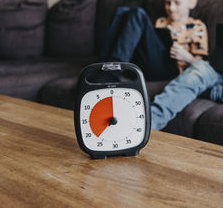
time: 7:37
